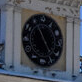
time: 4:55
